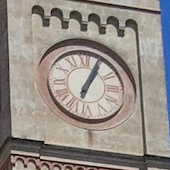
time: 1:04
